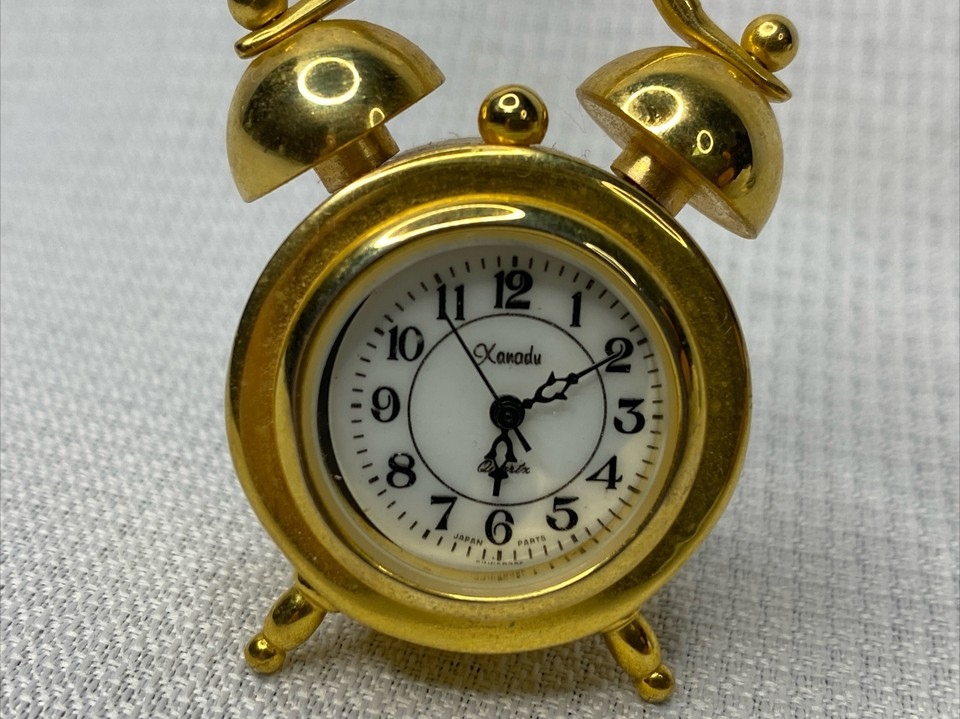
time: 6:10
